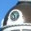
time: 10:28
